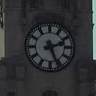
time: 2:26
